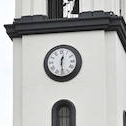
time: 12:28
